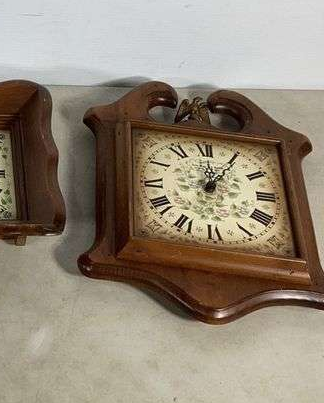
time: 12:05
